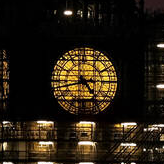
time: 4:42
